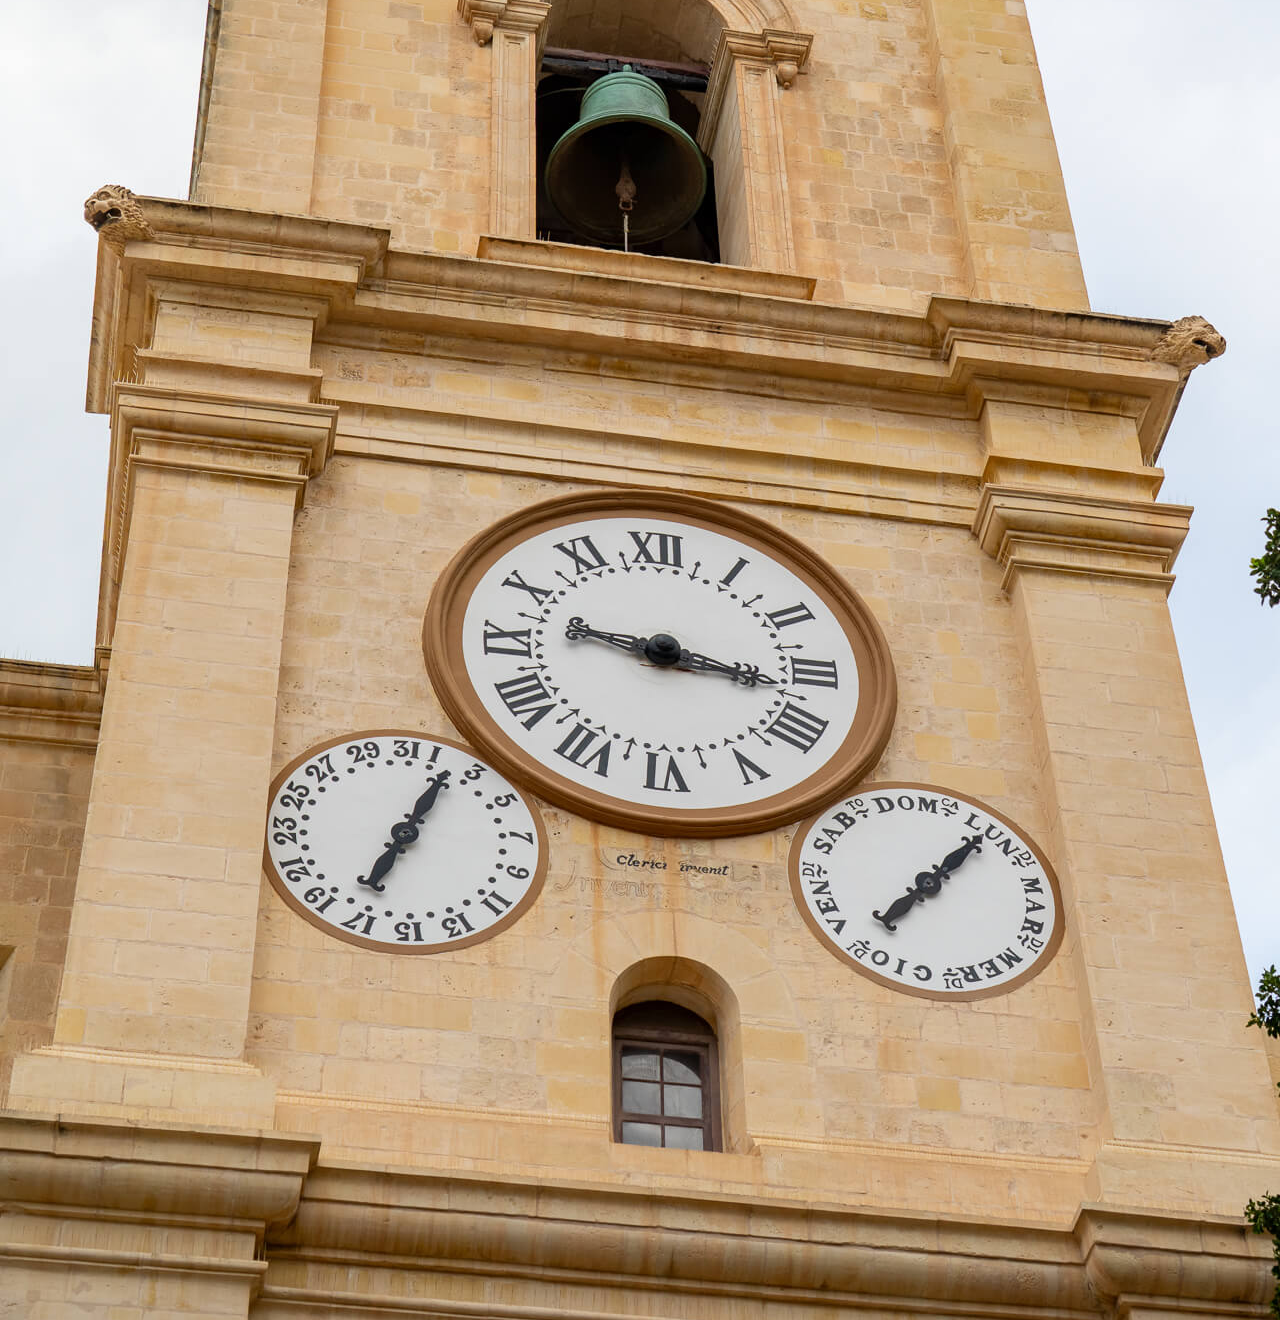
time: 9:16
